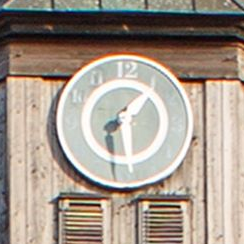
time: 1:28
